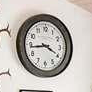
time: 3:43
